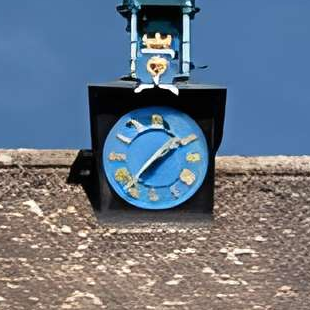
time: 1:36
